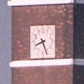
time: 8:26
